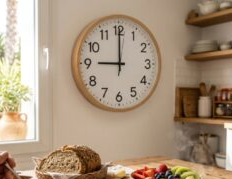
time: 9:00
